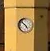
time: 4:52
